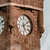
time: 5:08
